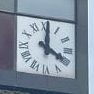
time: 4:00
